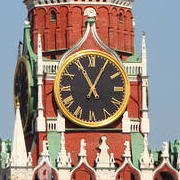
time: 11:04
